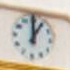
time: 12:59
